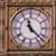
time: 11:22
